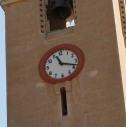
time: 11:18
